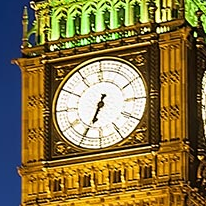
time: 6:34
